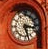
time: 3:27
